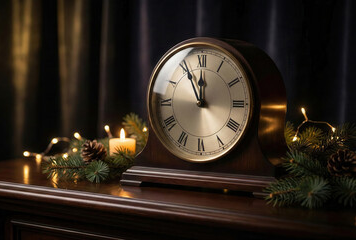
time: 11:55
